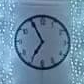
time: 6:55
